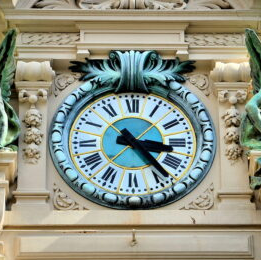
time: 3:23
